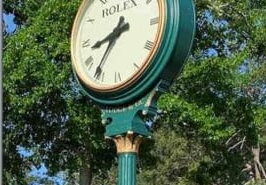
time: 8:36
